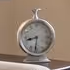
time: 8:31
